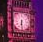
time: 6:29
